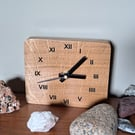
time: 3:07
